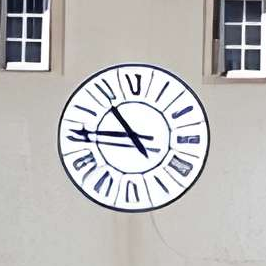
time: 10:45
